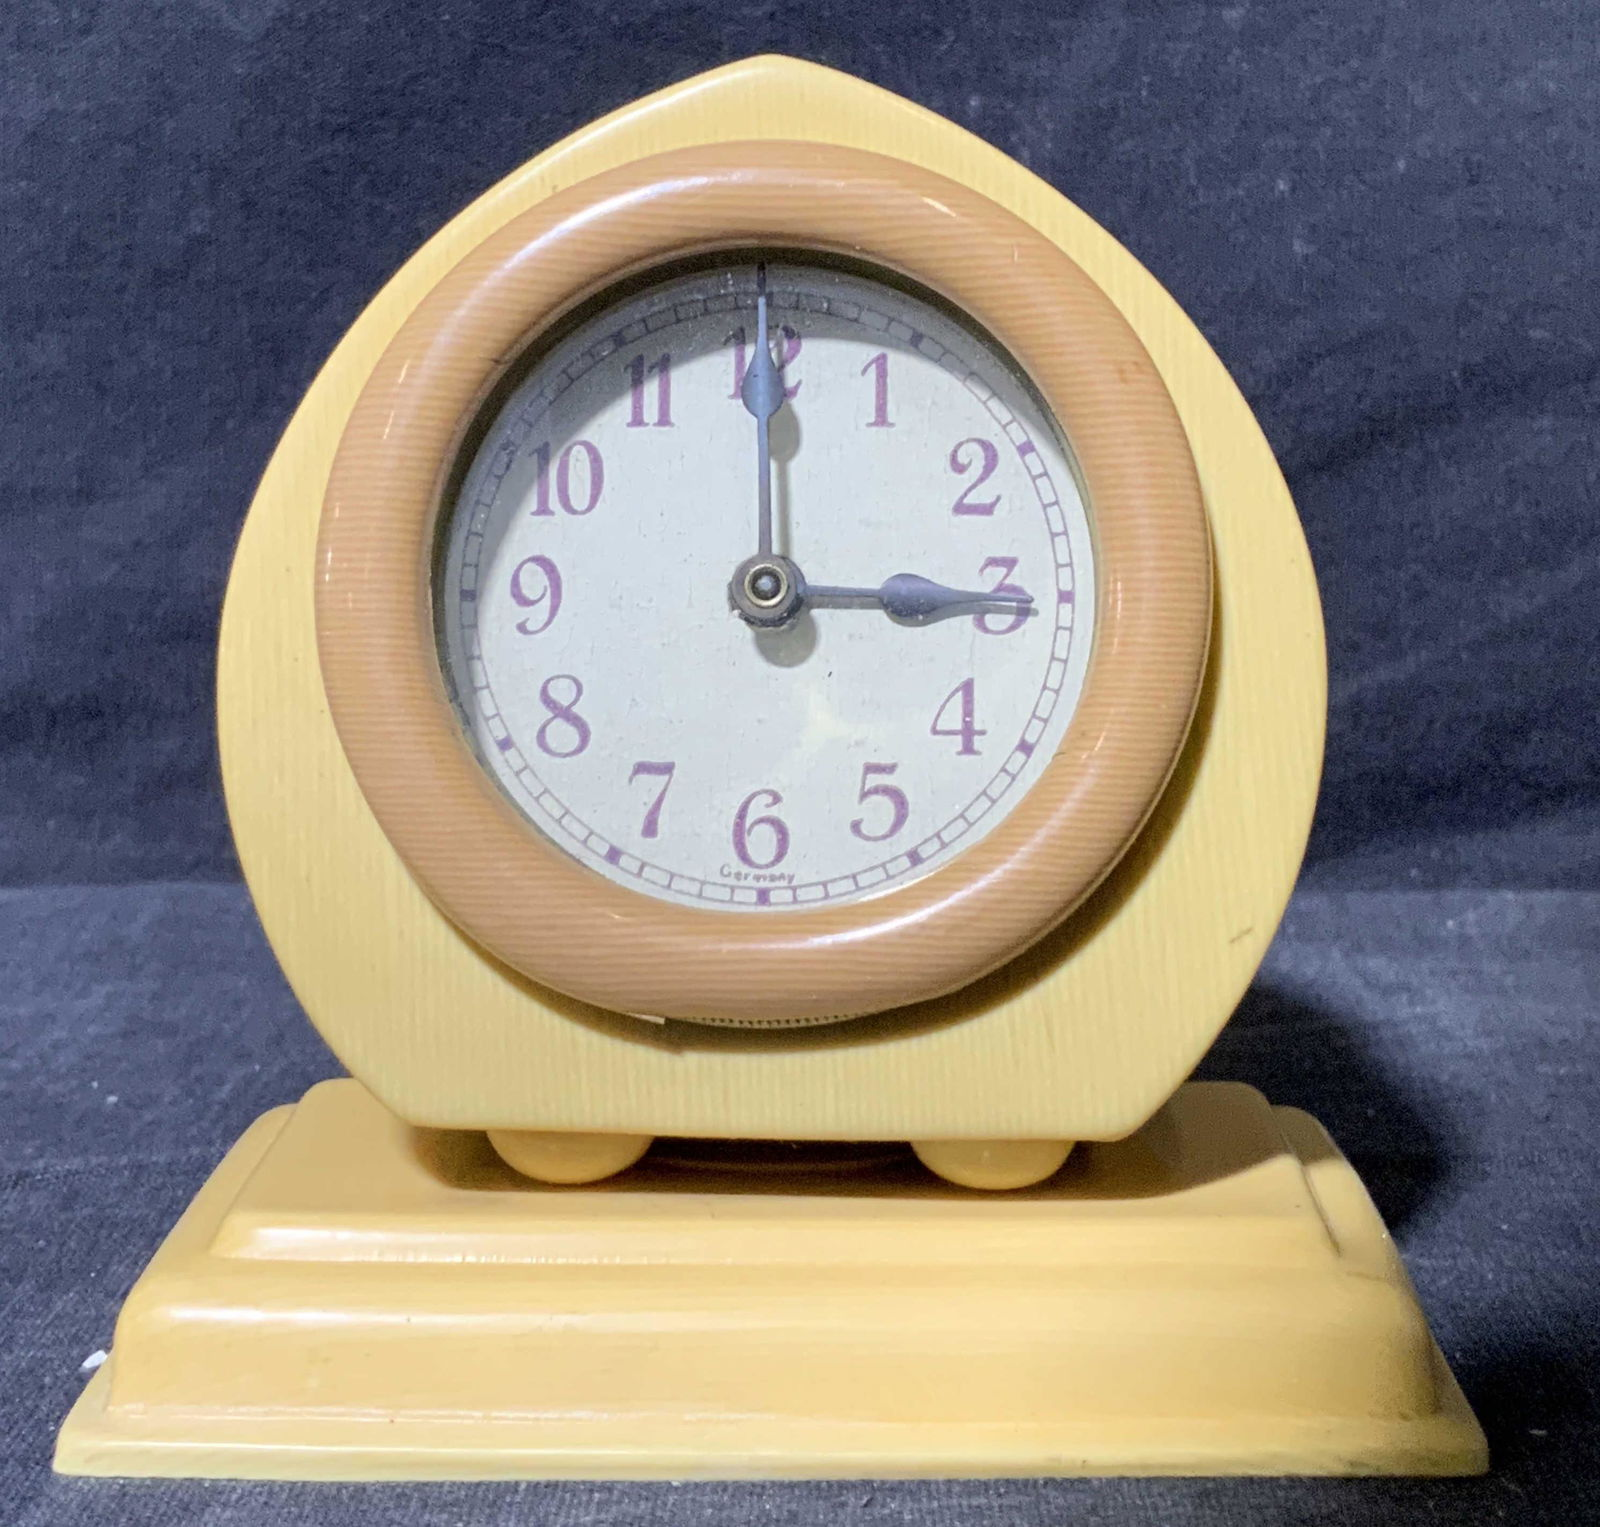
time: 3:00
